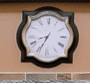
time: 8:34
